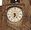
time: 6:24
